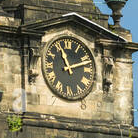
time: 11:11
